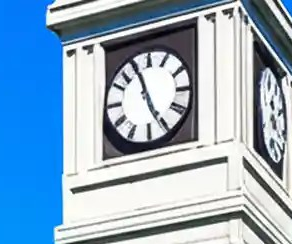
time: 11:25
